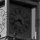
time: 4:42
